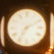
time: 7:10
